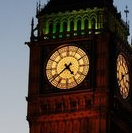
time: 4:38
